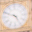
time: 4:49
